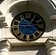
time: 1:13
